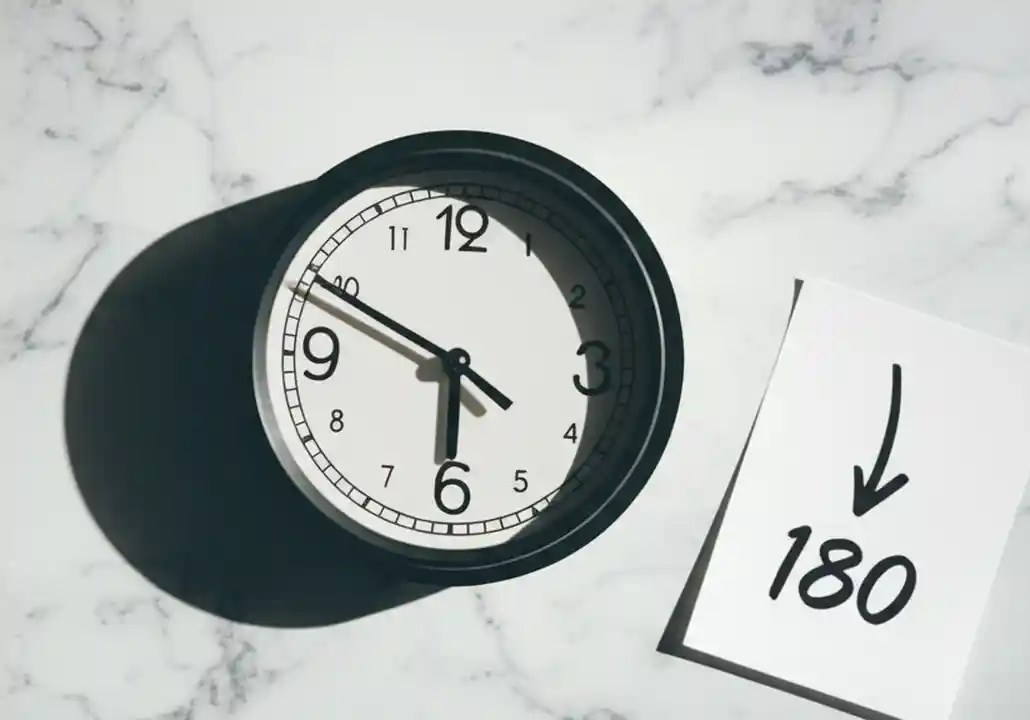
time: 5:49
